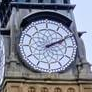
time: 2:10
